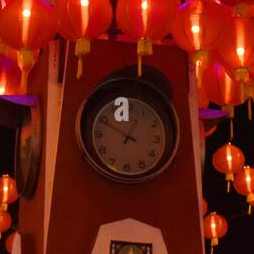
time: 12:49
